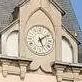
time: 5:09
